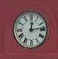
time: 12:13
